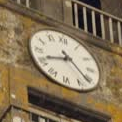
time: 8:21
